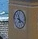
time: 11:19
